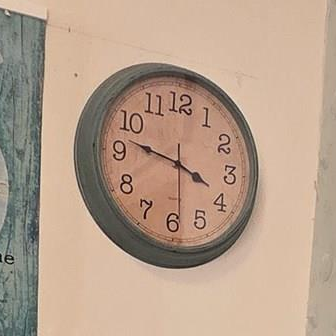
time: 3:47
